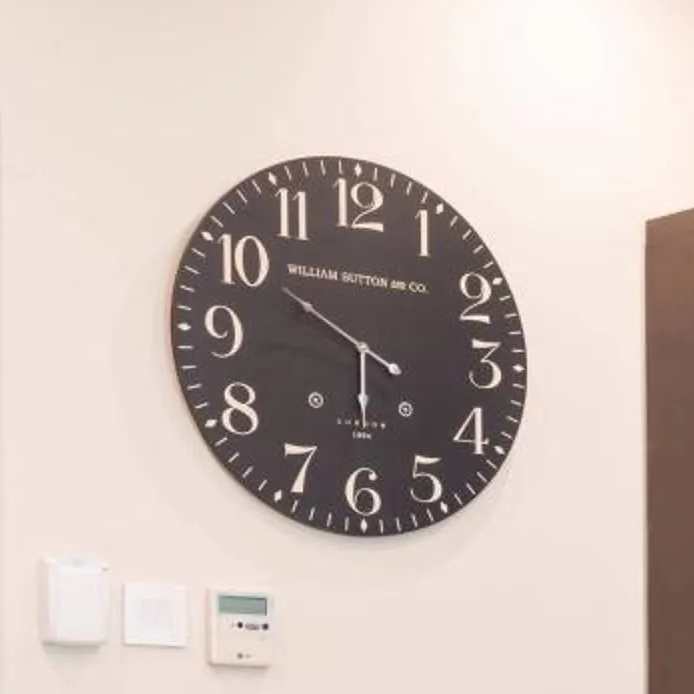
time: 5:49
